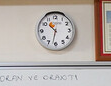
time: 10:32
